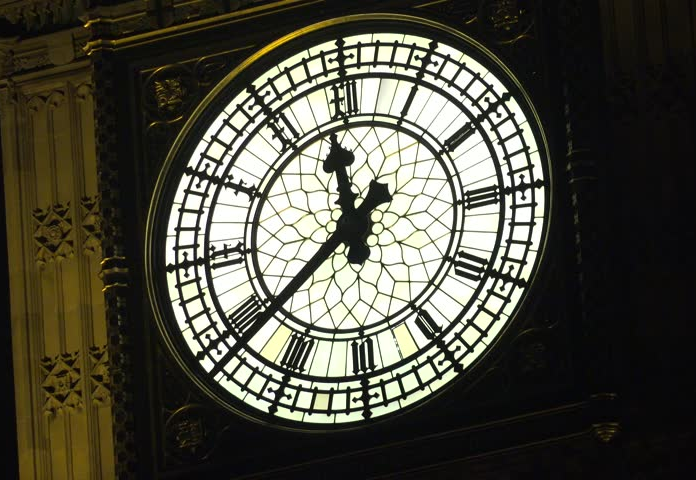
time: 11:38
